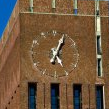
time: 5:04
